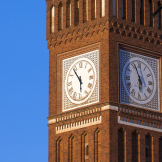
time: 5:53
